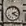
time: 2:21
